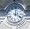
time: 4:01
